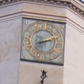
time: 8:11
